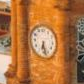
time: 6:27
